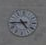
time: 4:44
